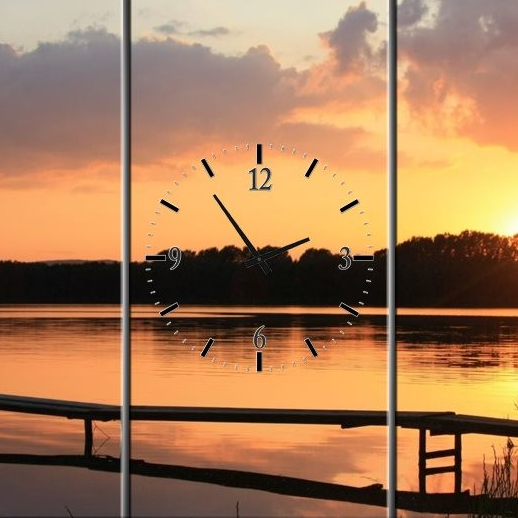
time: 10:45
